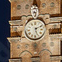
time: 5:11
